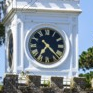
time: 7:22
